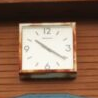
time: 10:20
